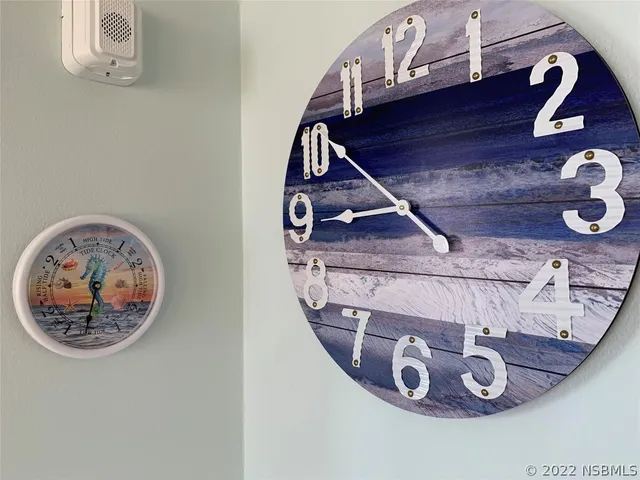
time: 8:51
